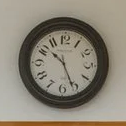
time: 10:26
